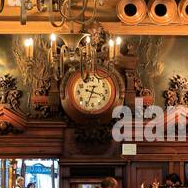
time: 3:34
